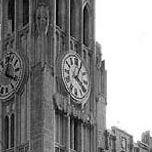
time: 4:04
